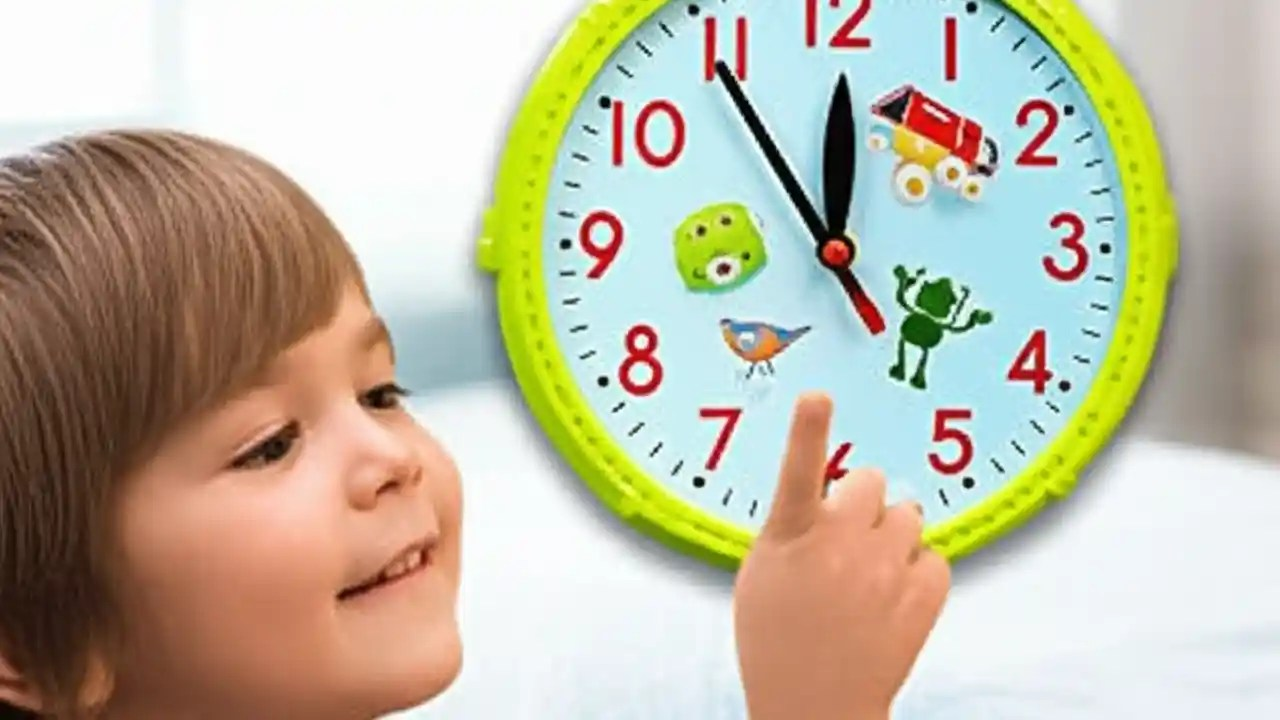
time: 11:54
